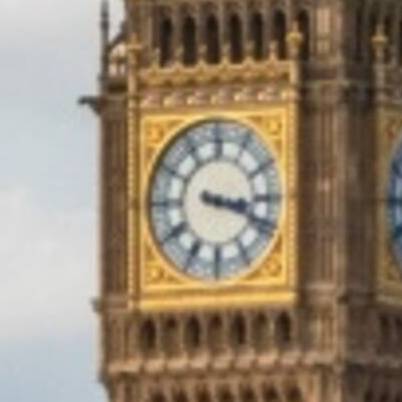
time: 3:18
